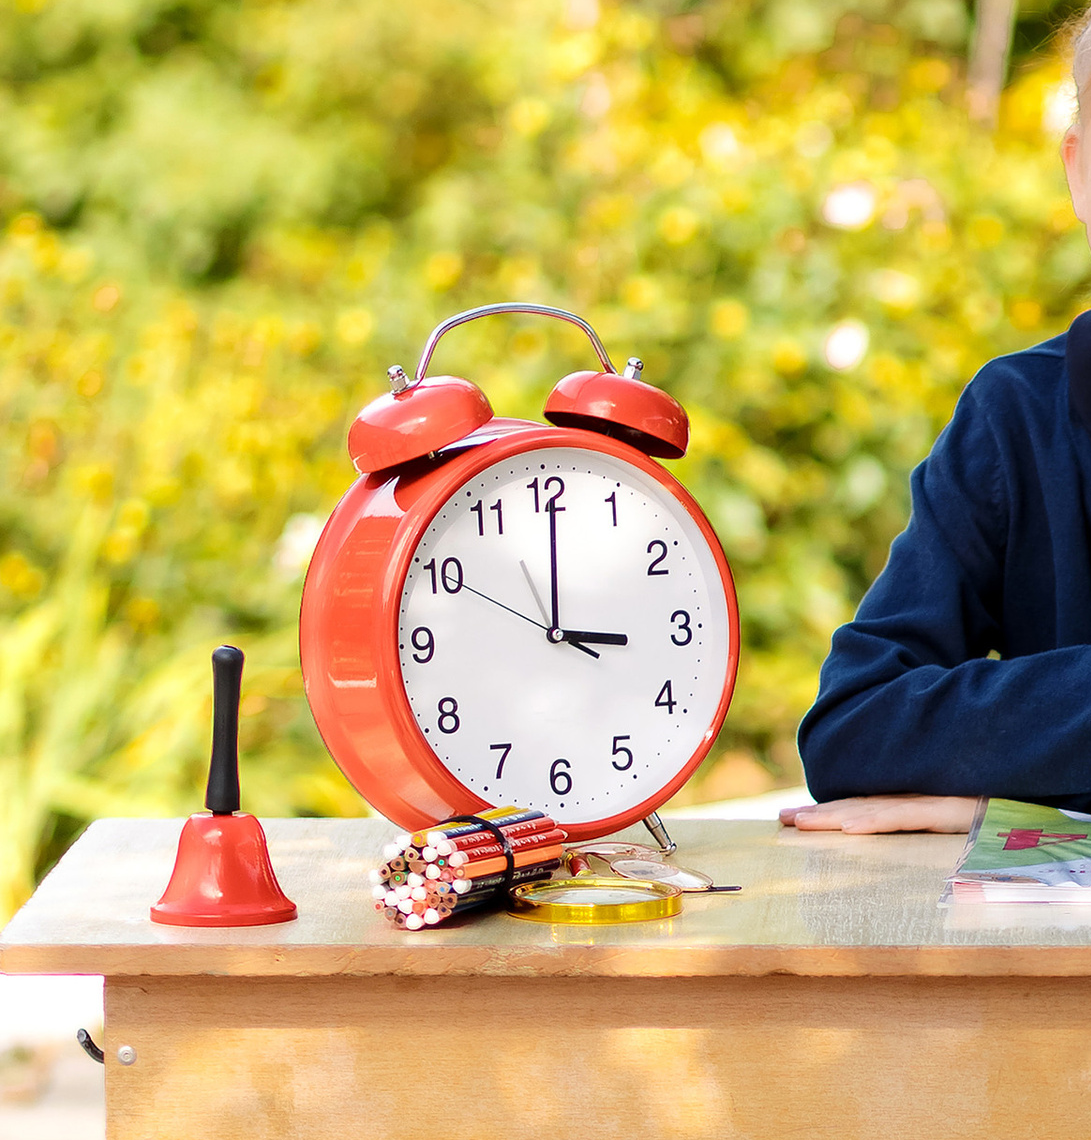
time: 3:00
